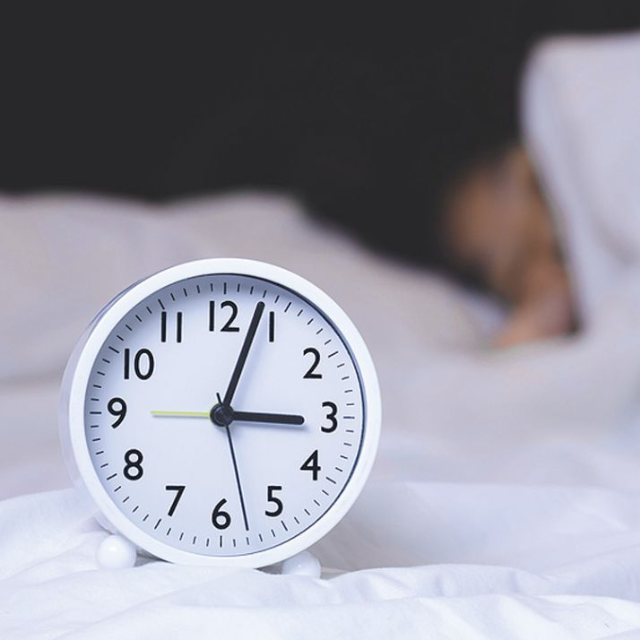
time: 3:03
